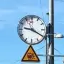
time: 9:20
